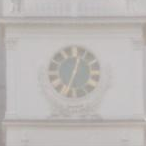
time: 12:32
